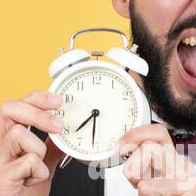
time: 7:31
